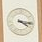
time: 4:16
